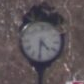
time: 4:31
